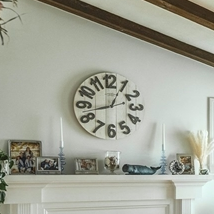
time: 12:42
